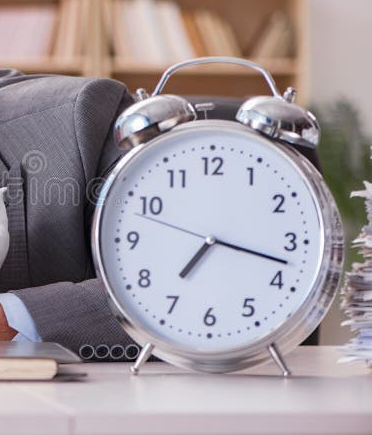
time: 7:17
